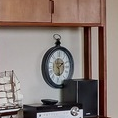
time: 6:11
